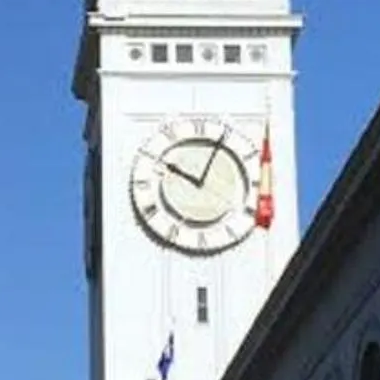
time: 10:04
